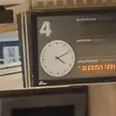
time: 4:10
